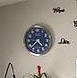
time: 4:37
